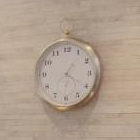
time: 1:20
